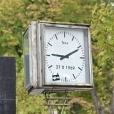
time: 9:10
